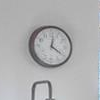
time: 12:20
